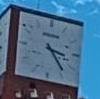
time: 3:23
